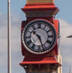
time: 10:26
